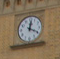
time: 12:19
